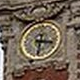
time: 3:29
